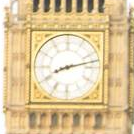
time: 8:12
